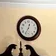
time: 12:34
